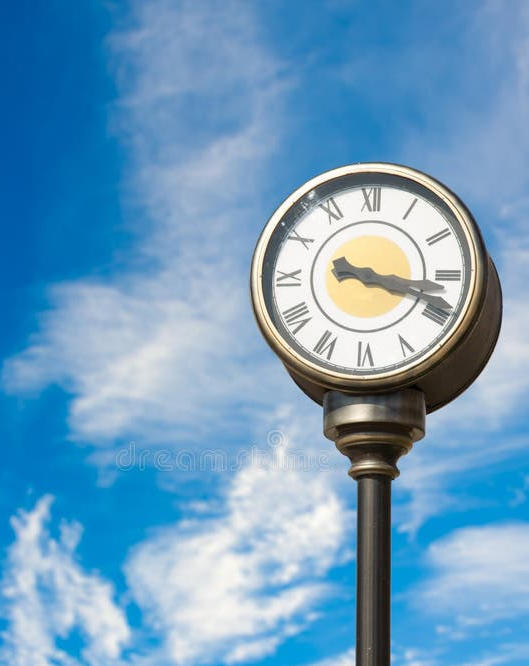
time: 3:18
